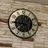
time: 3:45
